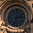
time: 2:32
